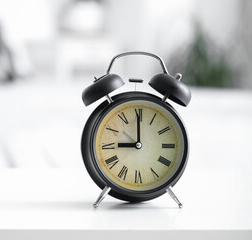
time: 9:00
